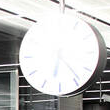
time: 6:23
